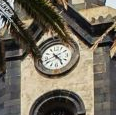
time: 4:42
